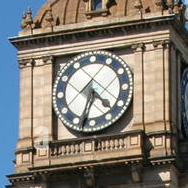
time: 4:33
